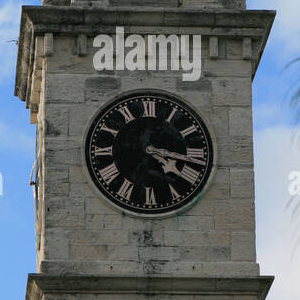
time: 4:16
